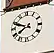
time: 7:48
